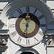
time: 12:32
